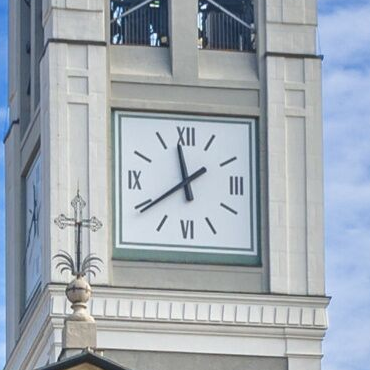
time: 11:39
